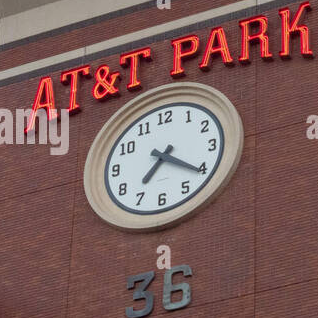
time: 7:20
